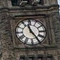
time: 11:24
